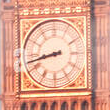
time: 8:42
